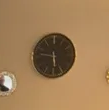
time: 5:46
